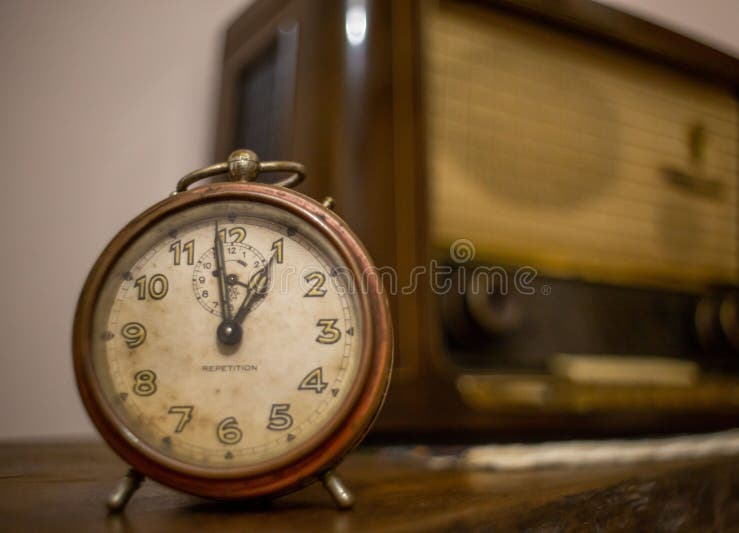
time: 12:58
